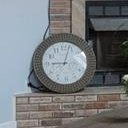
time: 9:03
